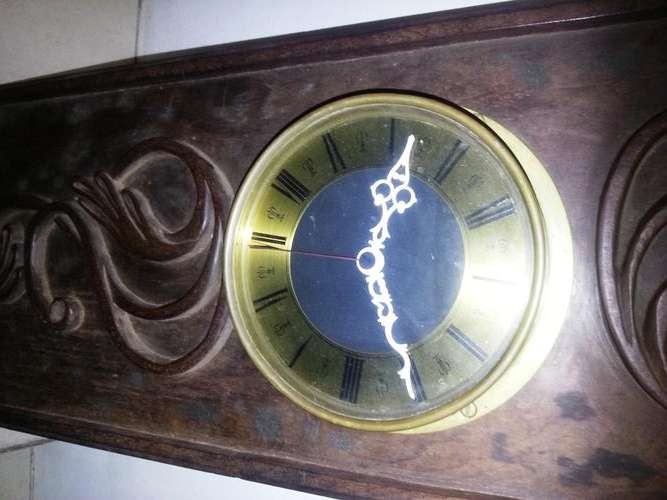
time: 12:26
